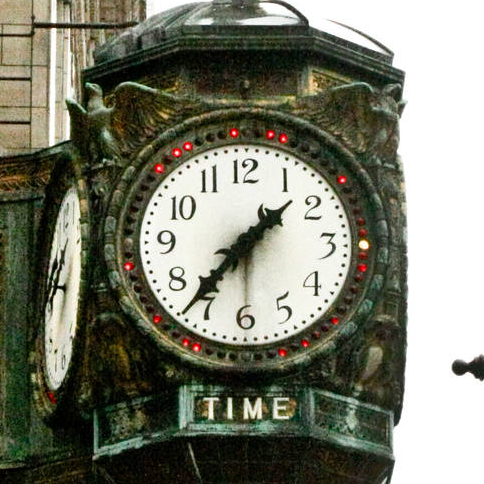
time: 1:36
